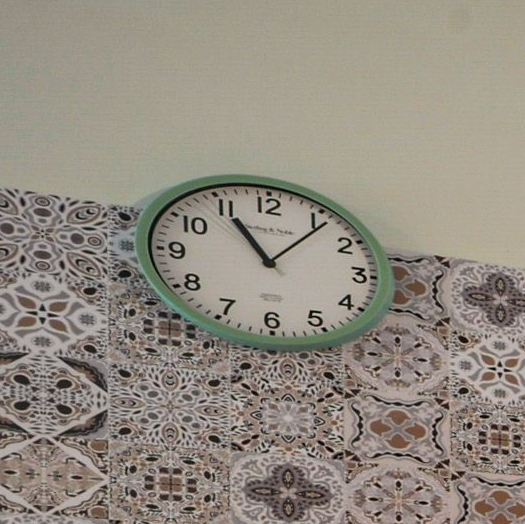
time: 11:06
